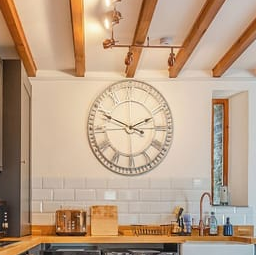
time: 1:49
